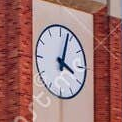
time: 4:03
